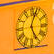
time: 5:03
